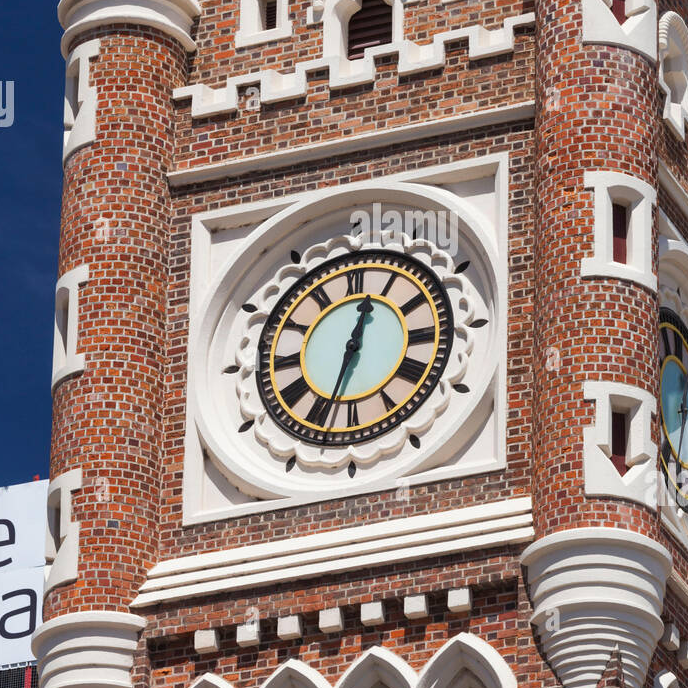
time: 12:33
